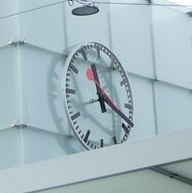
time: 11:18
